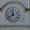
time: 11:39
